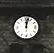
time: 12:02
